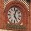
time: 5:03
